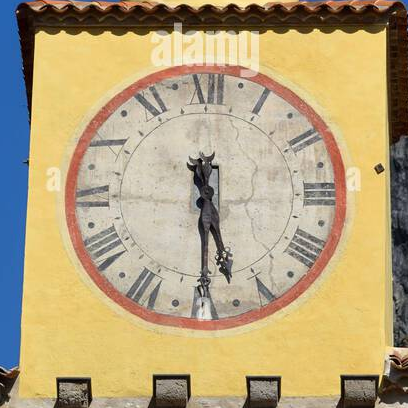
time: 5:29
